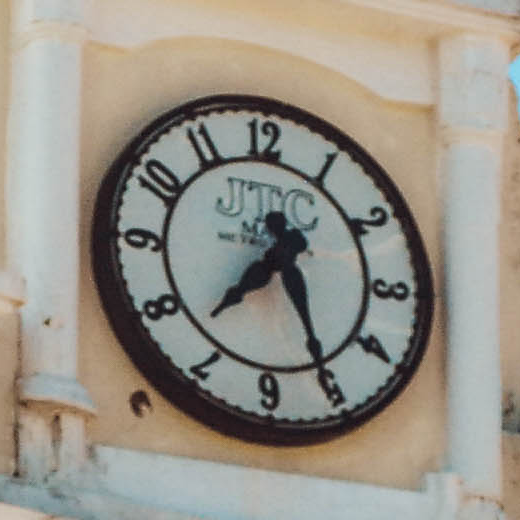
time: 7:25
